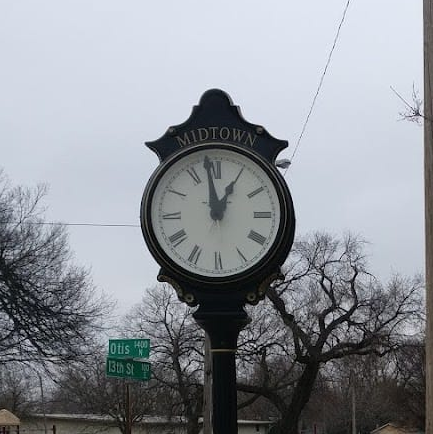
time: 12:58
